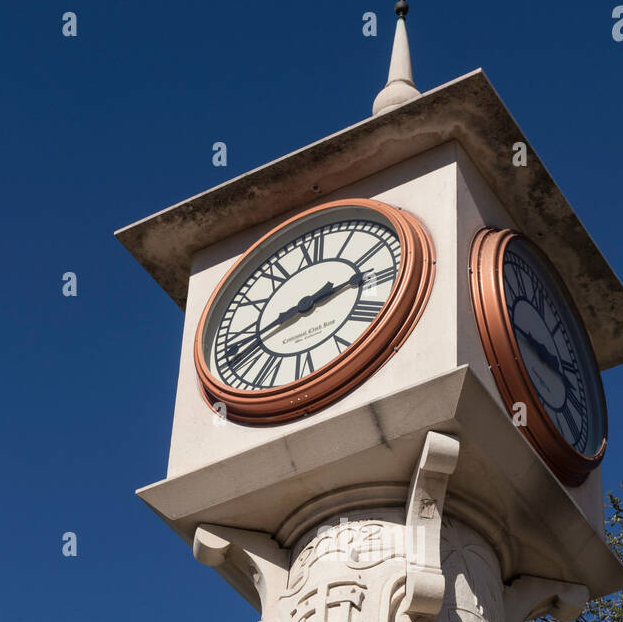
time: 2:42
